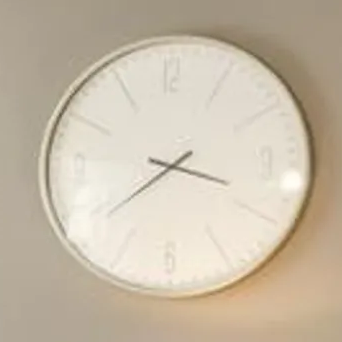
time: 3:39
